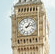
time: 1:12
